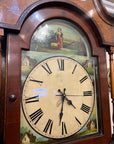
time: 4:31
